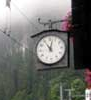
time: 11:02
